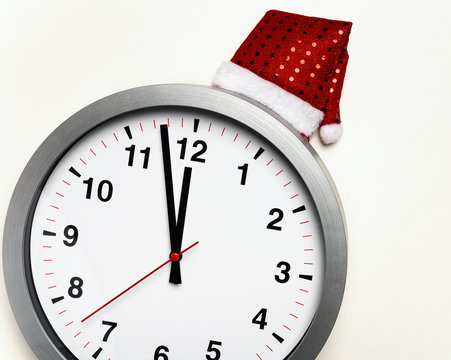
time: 11:57
